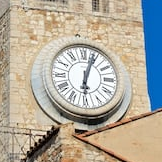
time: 6:03
